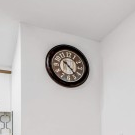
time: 10:23
